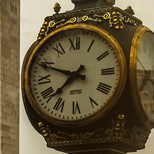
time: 7:48
